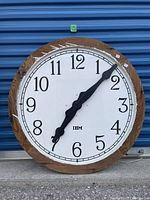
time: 7:07
